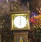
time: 6:01
